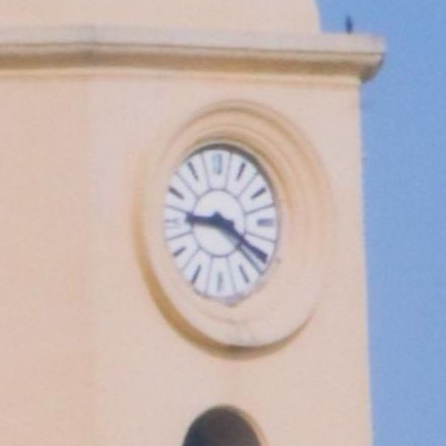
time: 9:20
